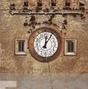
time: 12:05
